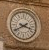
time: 3:40
